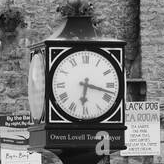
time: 6:17
